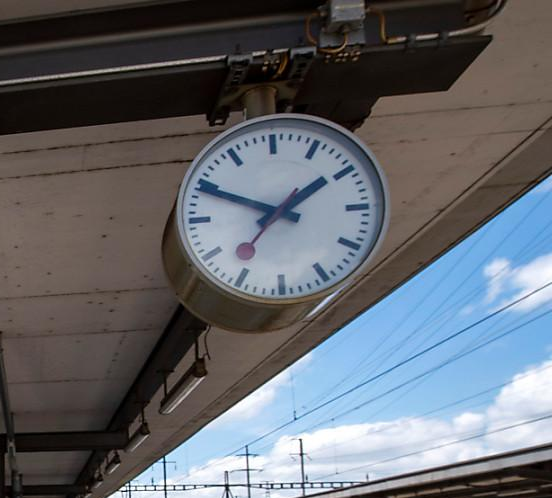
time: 1:49
